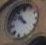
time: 10:52
